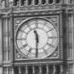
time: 11:30
